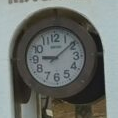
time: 9:08
